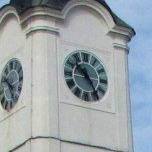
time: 10:24
